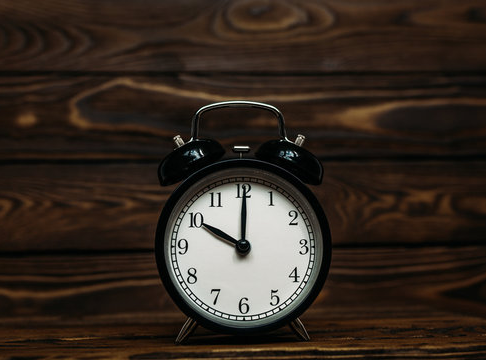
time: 10:00
